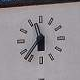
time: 11:36
